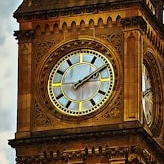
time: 2:09
